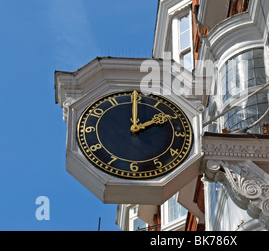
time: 2:00
